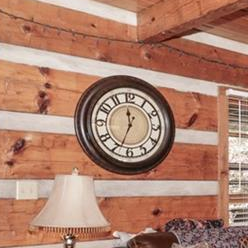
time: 11:33
